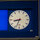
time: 8:33
